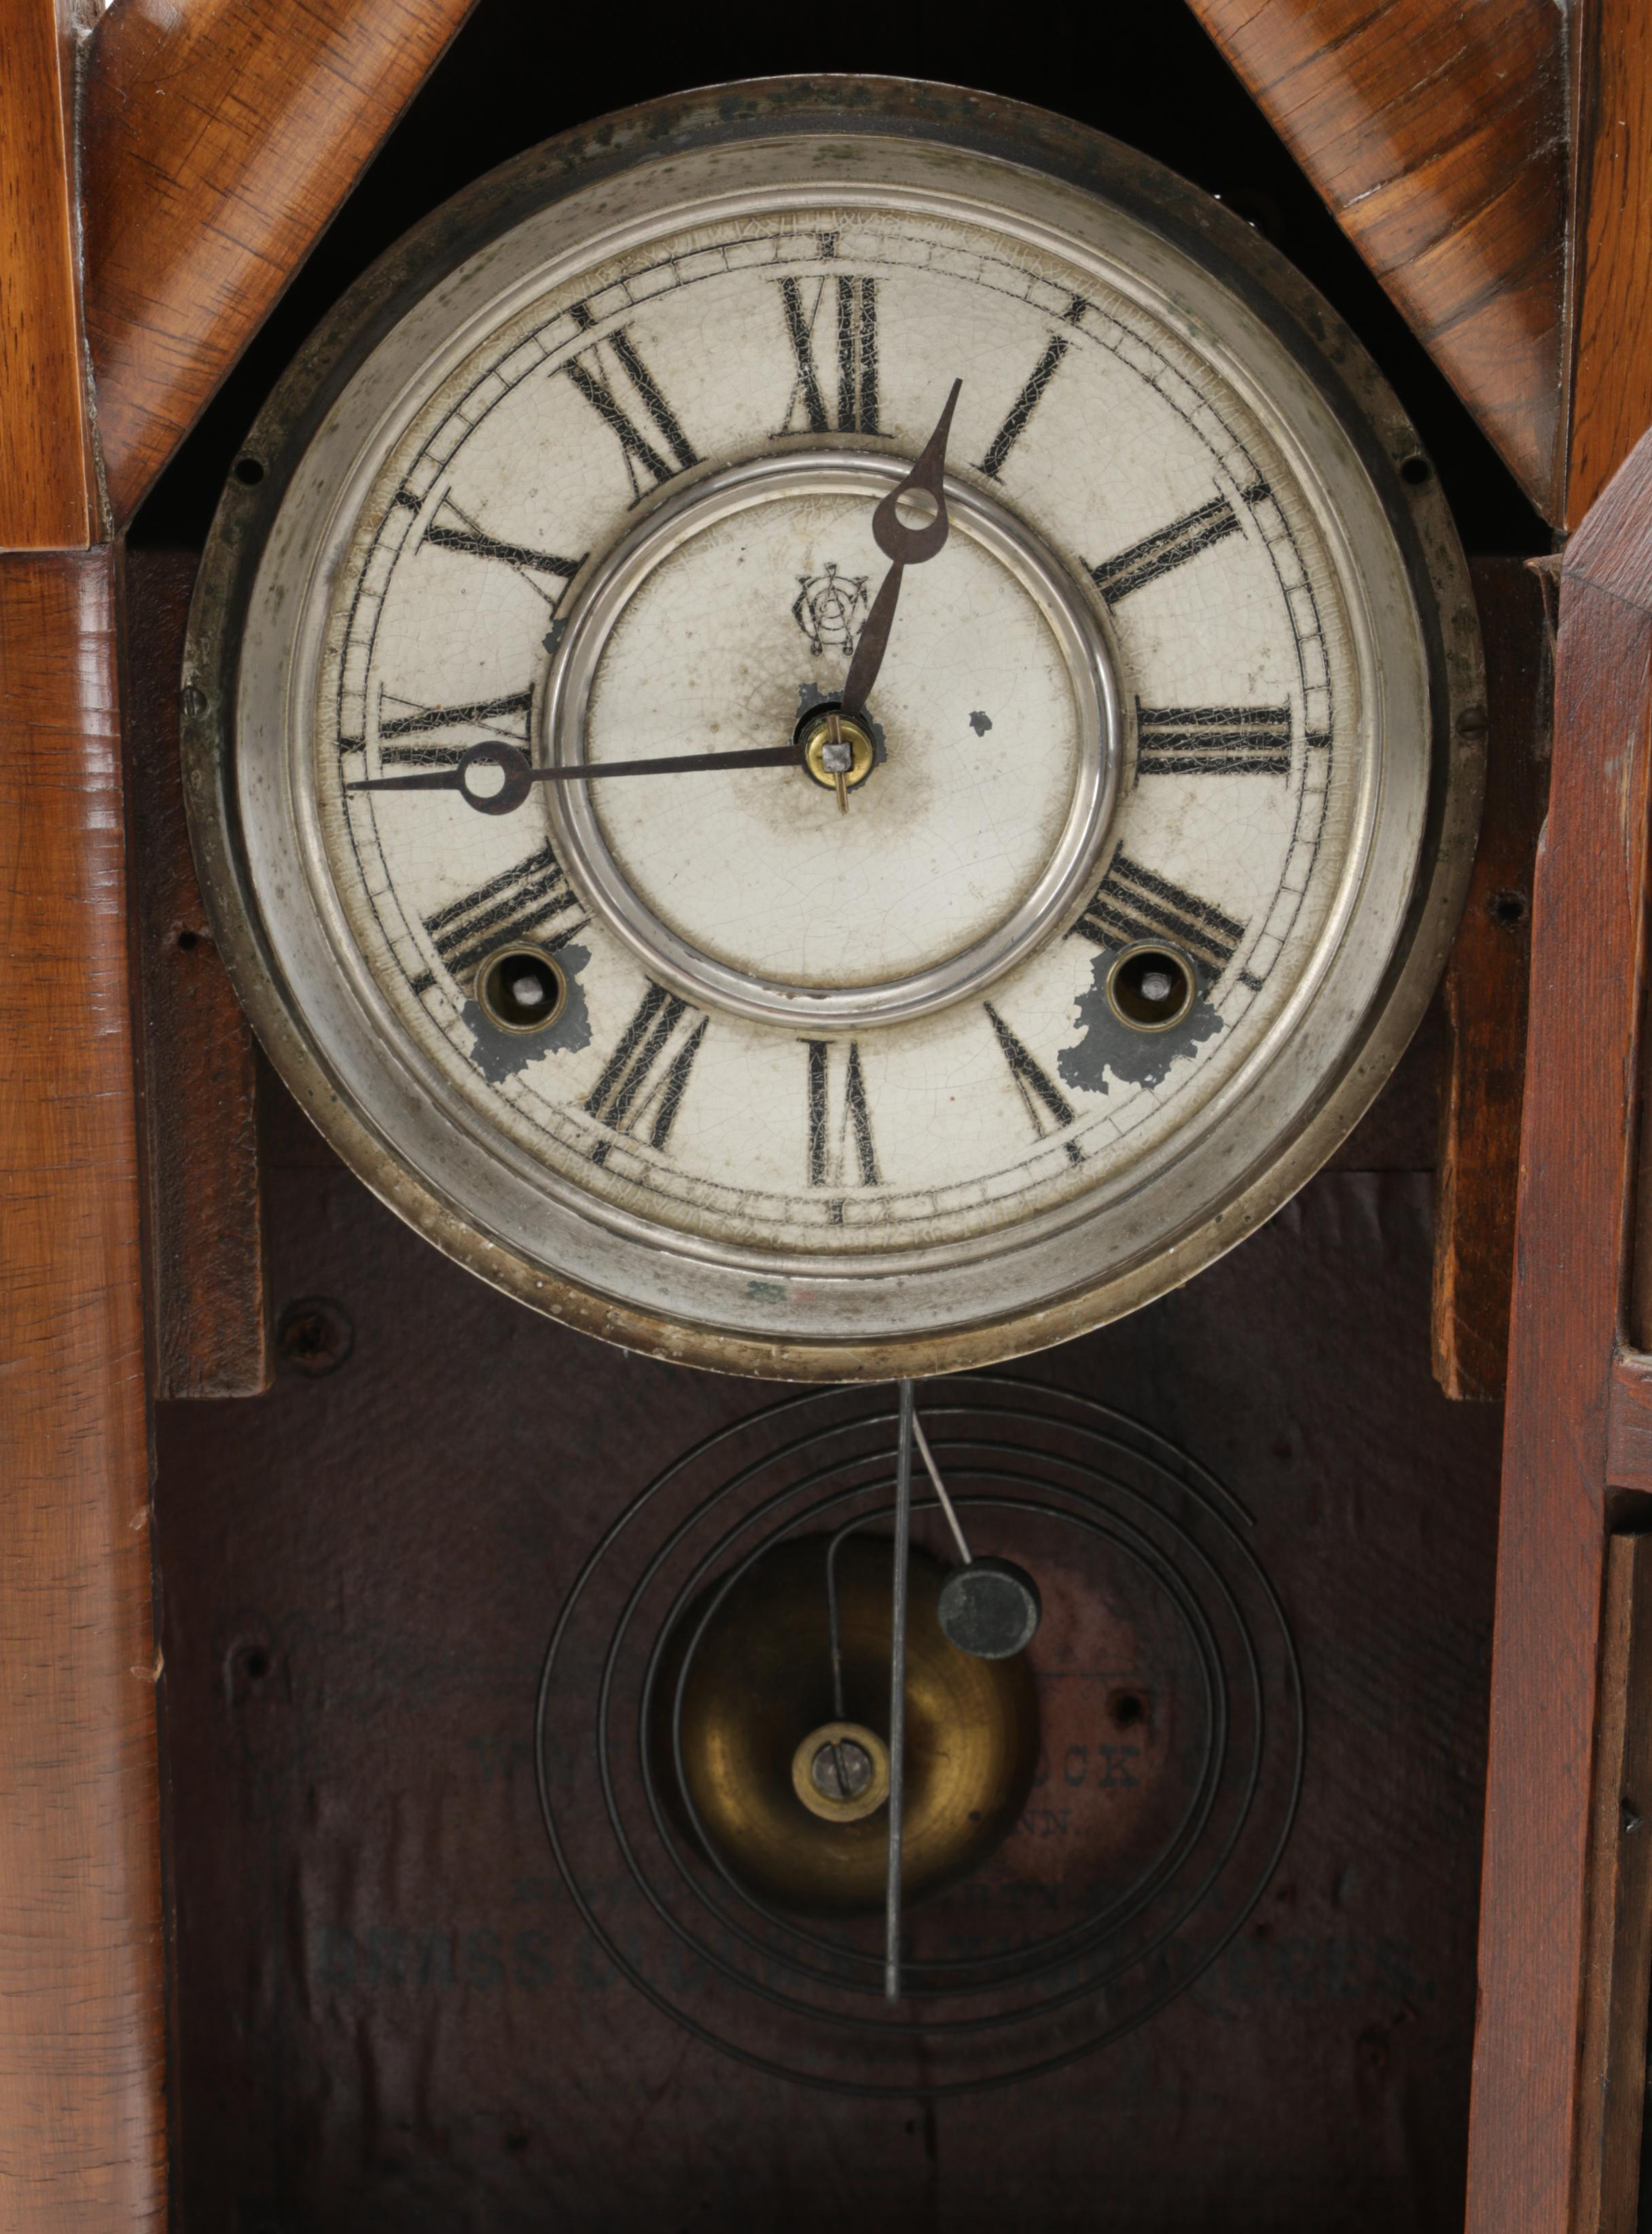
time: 12:44
